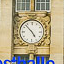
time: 4:52
